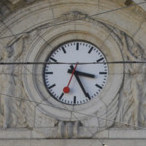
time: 3:25
